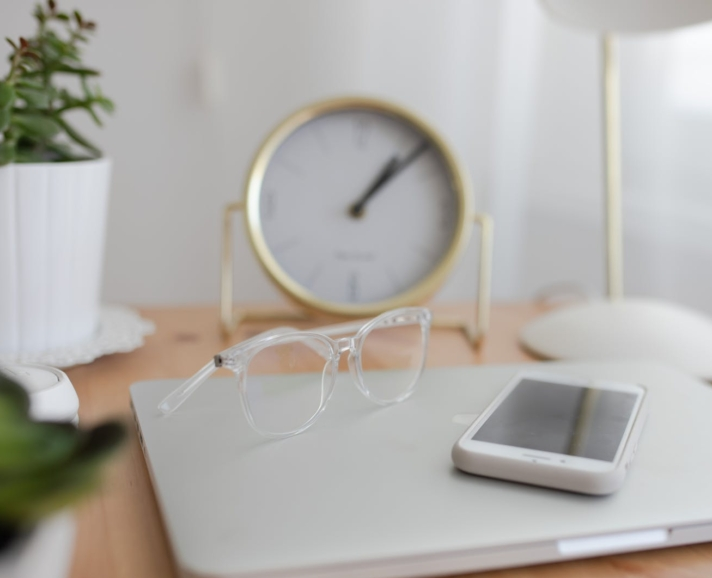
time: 1:07
